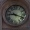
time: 9:18
